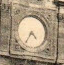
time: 4:35
